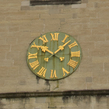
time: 10:07
